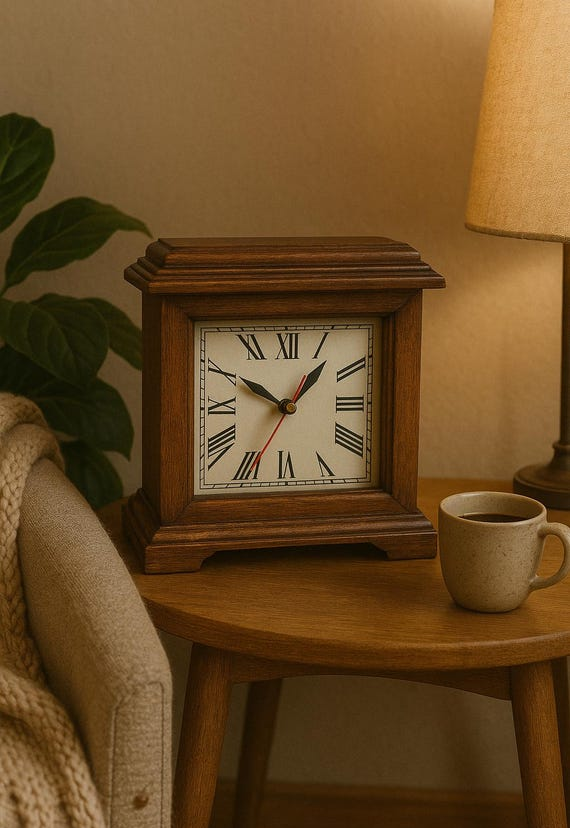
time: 10:07
